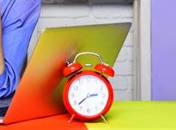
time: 2:38
